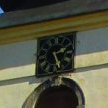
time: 2:26
